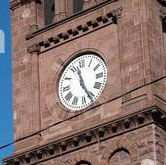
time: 11:25
